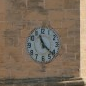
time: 11:22
